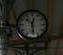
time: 12:28
